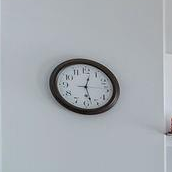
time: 12:27
